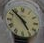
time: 4:52
